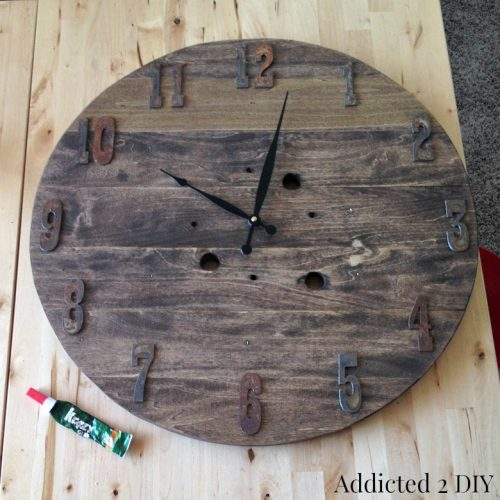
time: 10:02
